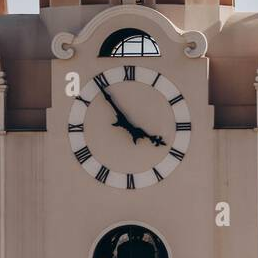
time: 3:53
